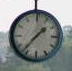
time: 1:36
